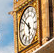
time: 5:51
